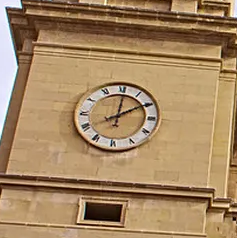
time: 12:09
